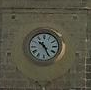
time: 10:25
